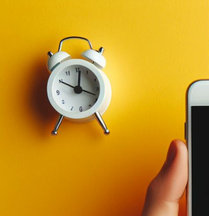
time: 12:18
